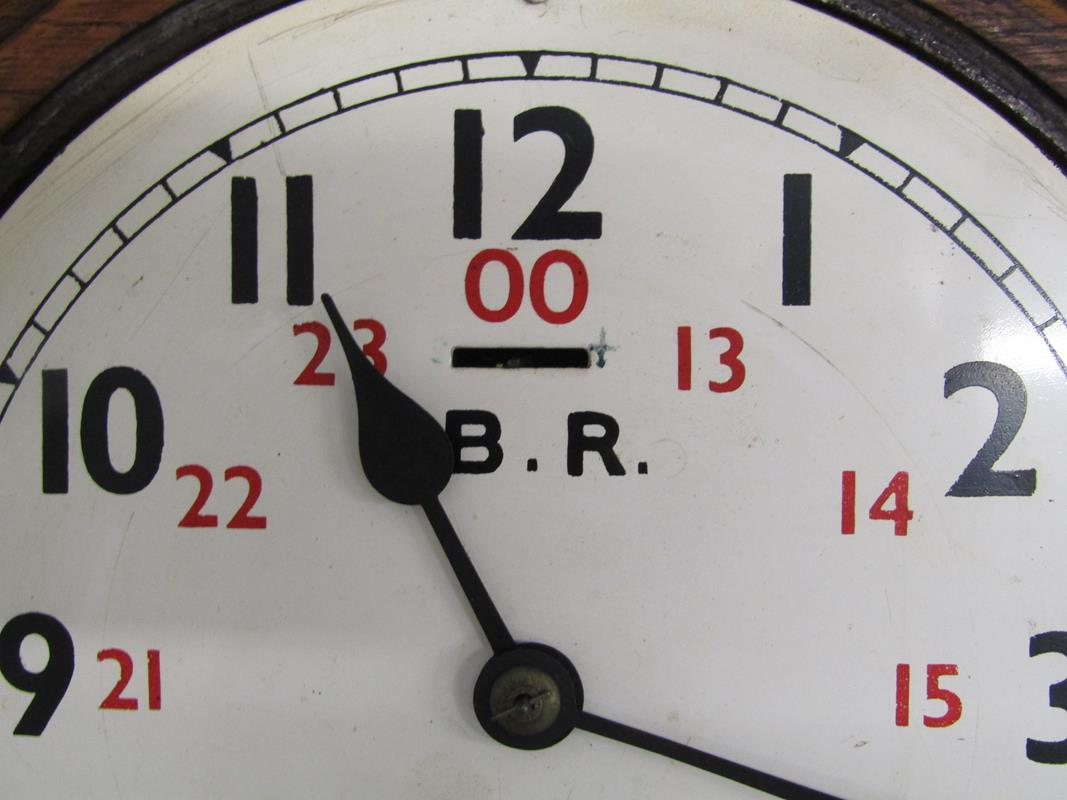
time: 10:55
